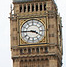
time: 3:45
